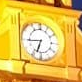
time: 6:44
